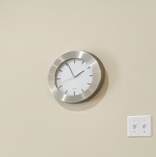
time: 1:55
